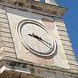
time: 9:20
